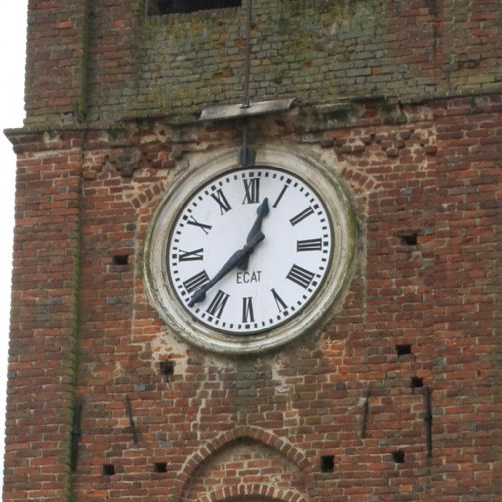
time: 12:37
